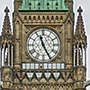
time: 11:25
